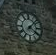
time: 4:07
